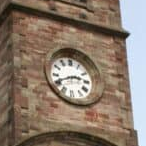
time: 2:40
